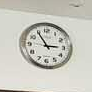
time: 2:54
